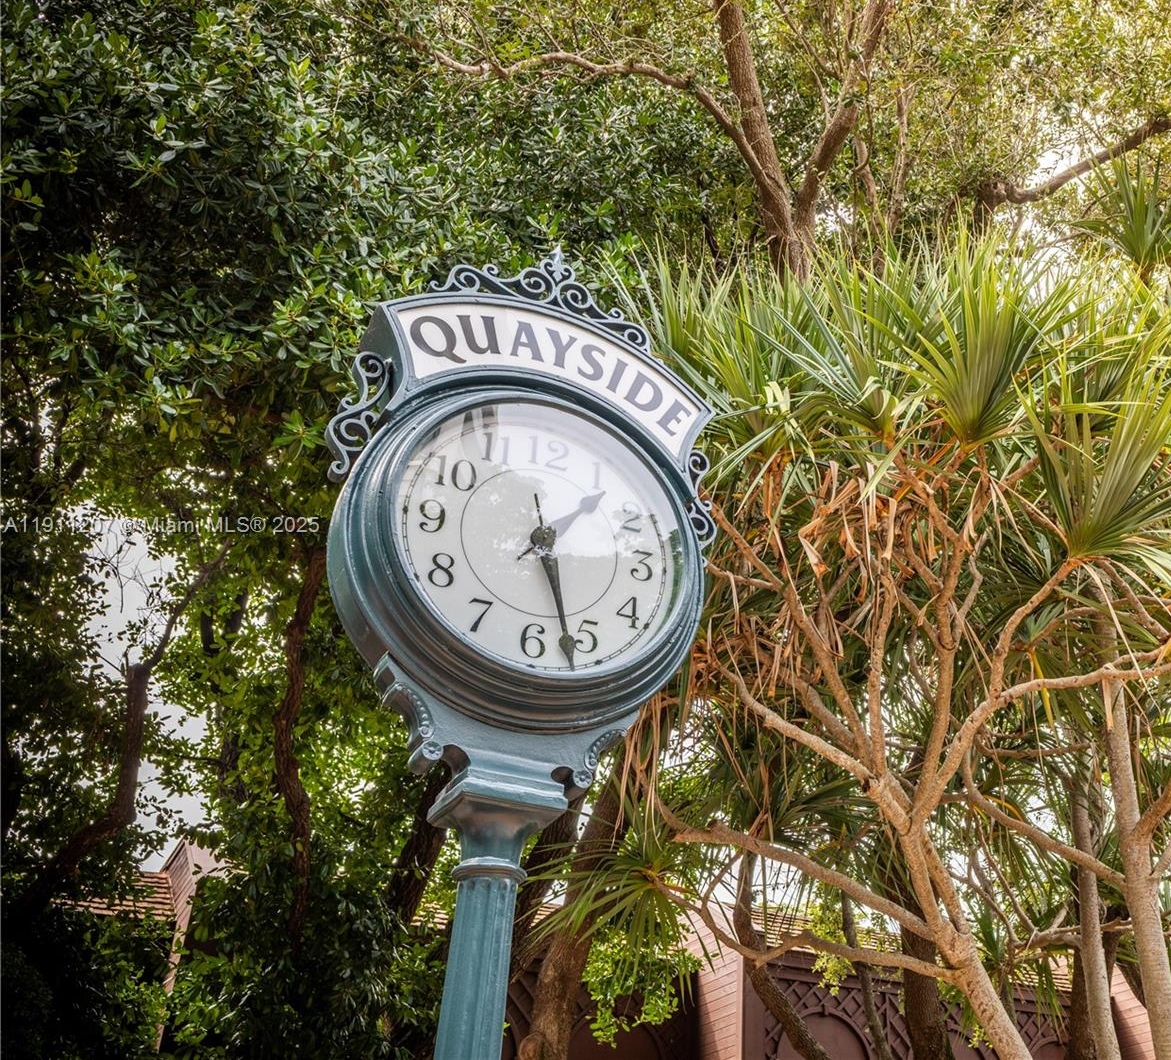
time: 1:28
